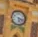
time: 5:18
